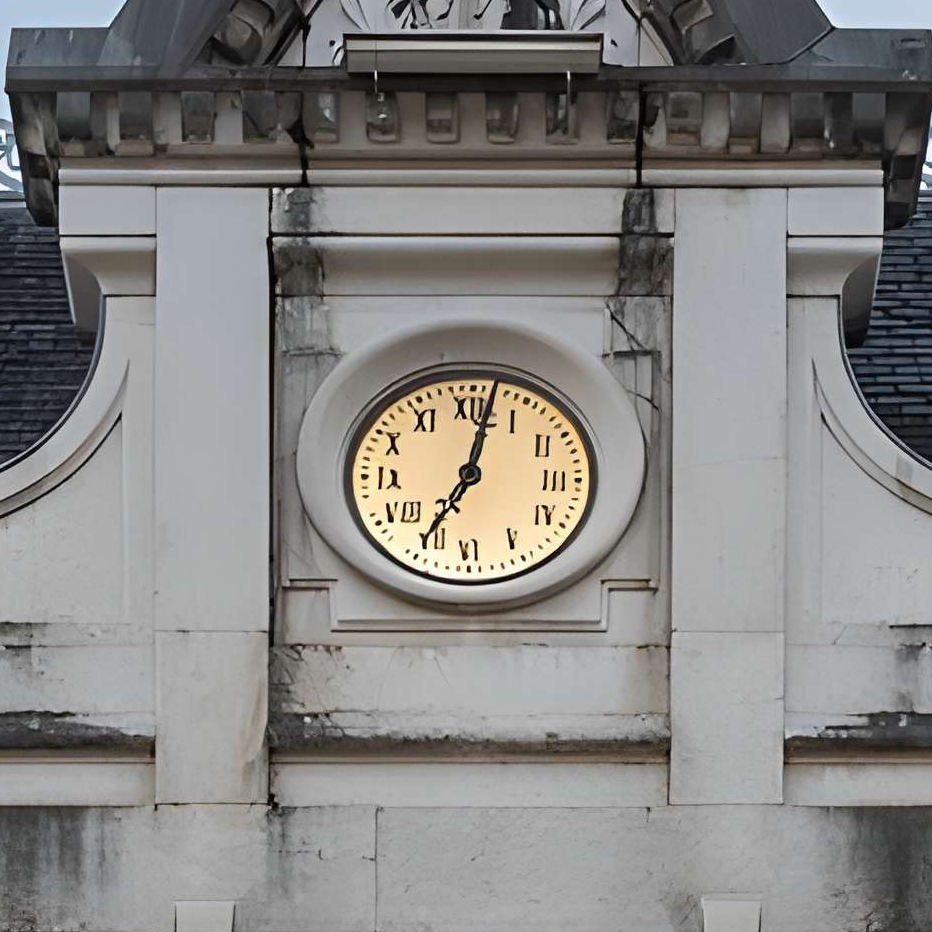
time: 7:02
